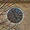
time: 4:56
